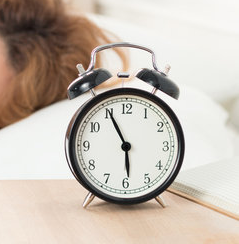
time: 5:55
